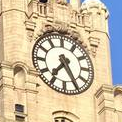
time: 7:25
